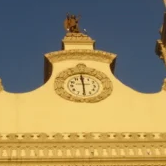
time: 5:59
